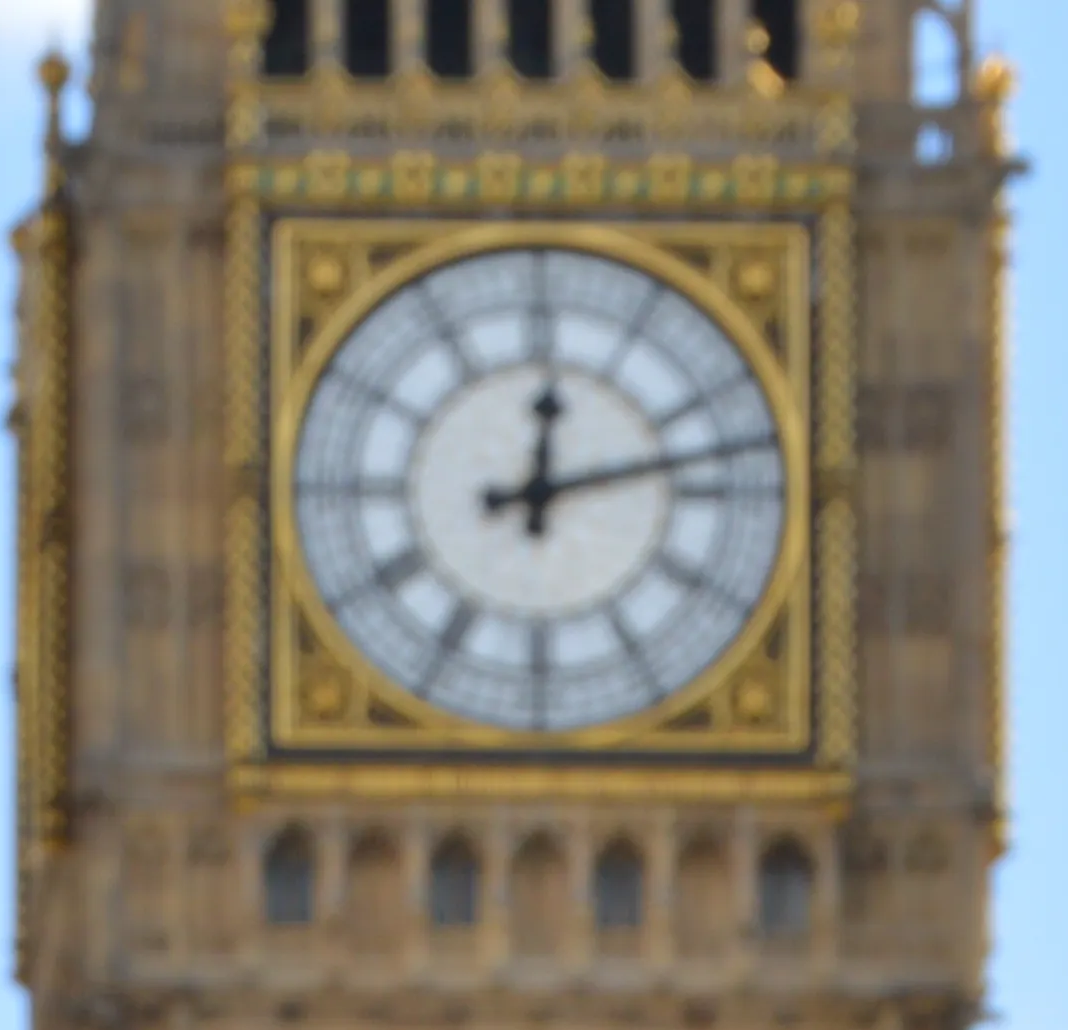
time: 12:12
